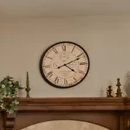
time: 4:11
